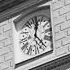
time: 12:23
